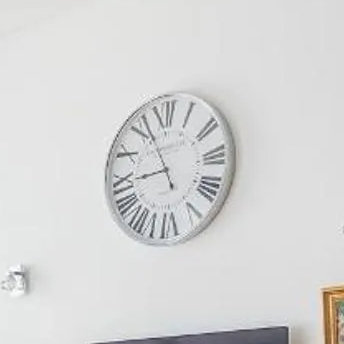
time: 8:56
